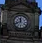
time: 11:41
